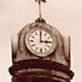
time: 3:00
